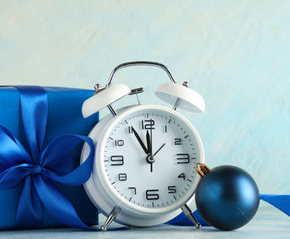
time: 11:55
